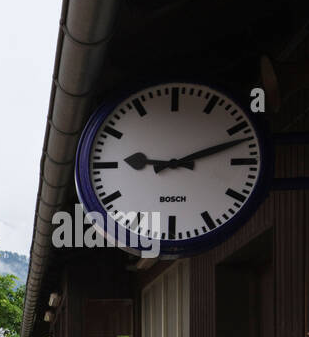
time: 9:12
